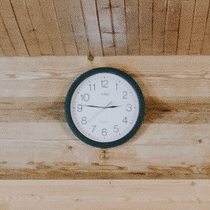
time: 2:46
